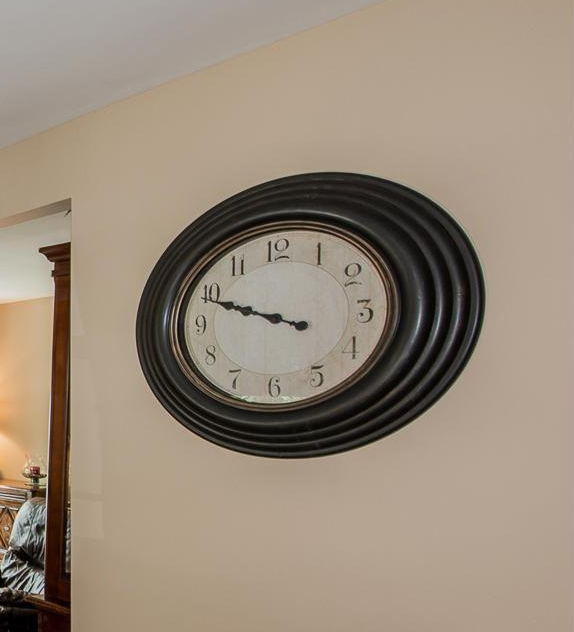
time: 9:49
